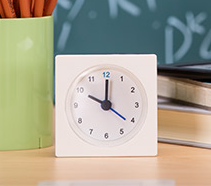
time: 10:00
